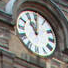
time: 11:00
